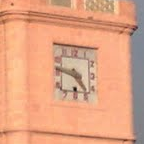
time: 4:46
